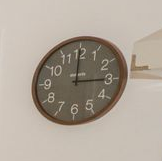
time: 2:59
